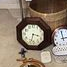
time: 3:32
